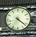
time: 4:21
